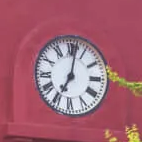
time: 7:01
